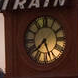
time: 7:27
